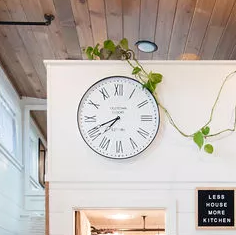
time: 7:41
